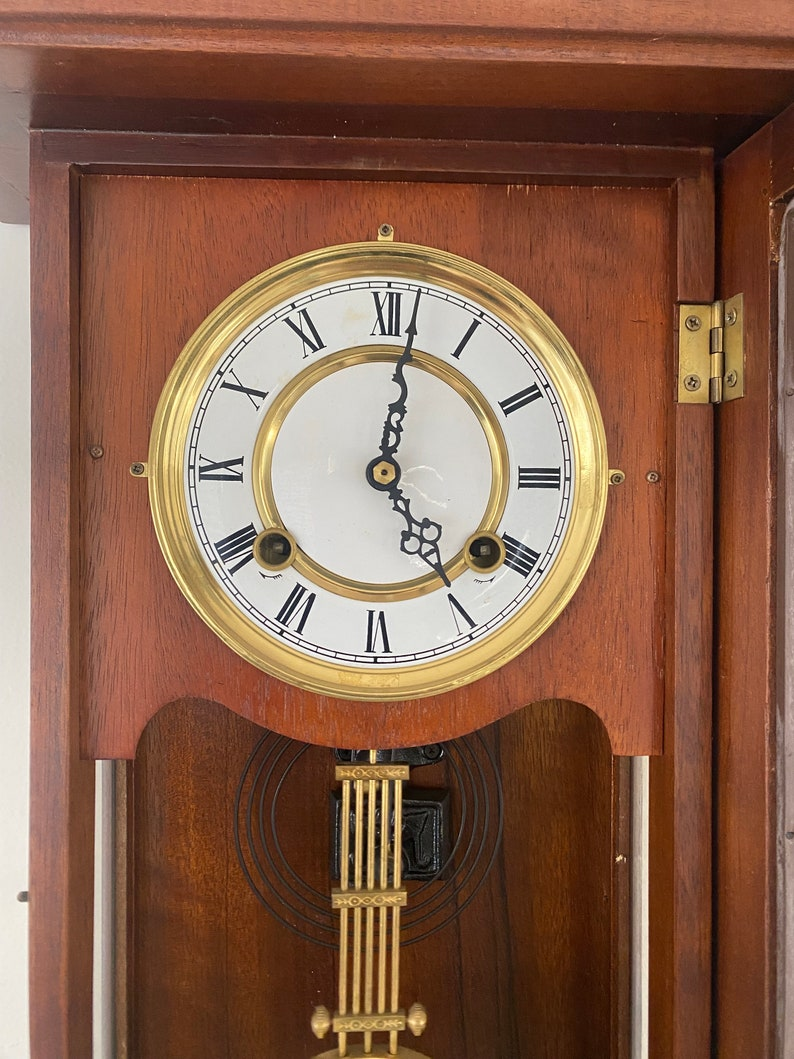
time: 5:01
